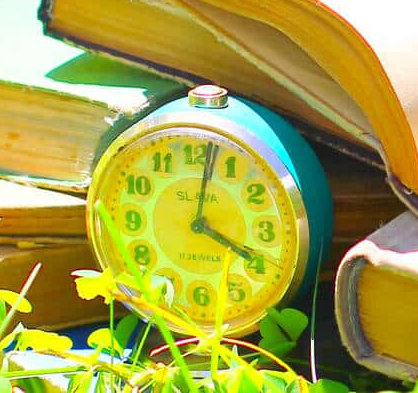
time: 4:02
